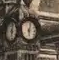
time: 6:03
